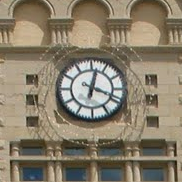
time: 12:18
